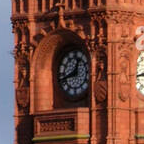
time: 12:42
